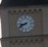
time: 8:40
